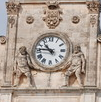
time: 10:46
